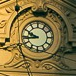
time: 9:43
